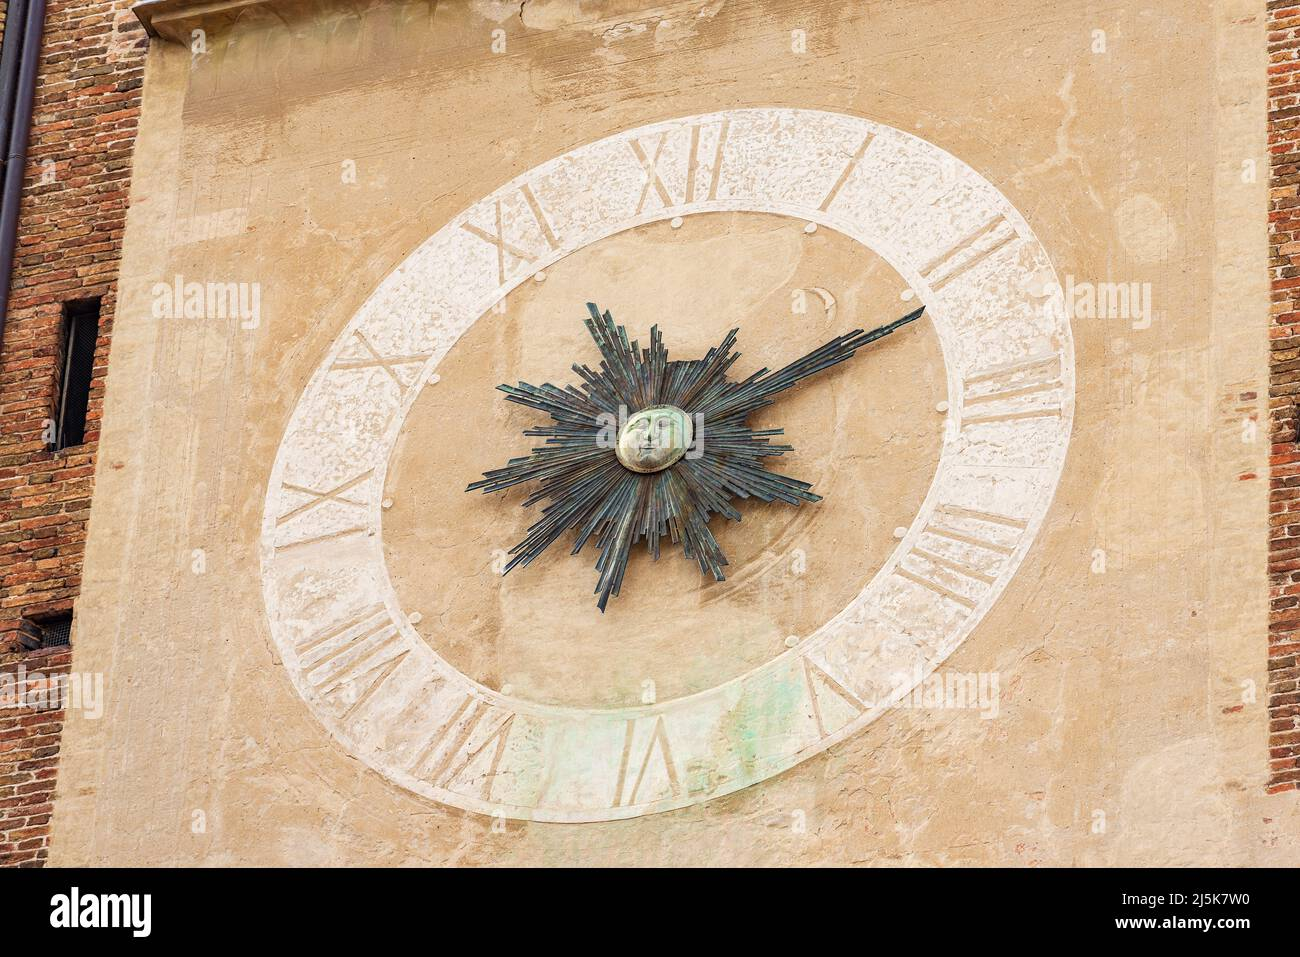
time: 11:10
